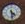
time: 4:29
